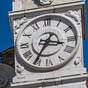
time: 3:35
